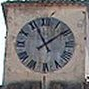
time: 11:08
